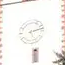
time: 5:12
